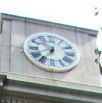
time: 10:36
